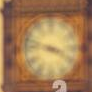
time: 3:47
